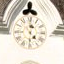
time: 4:31
